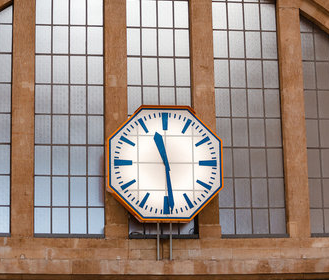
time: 11:28
